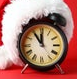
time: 11:54
